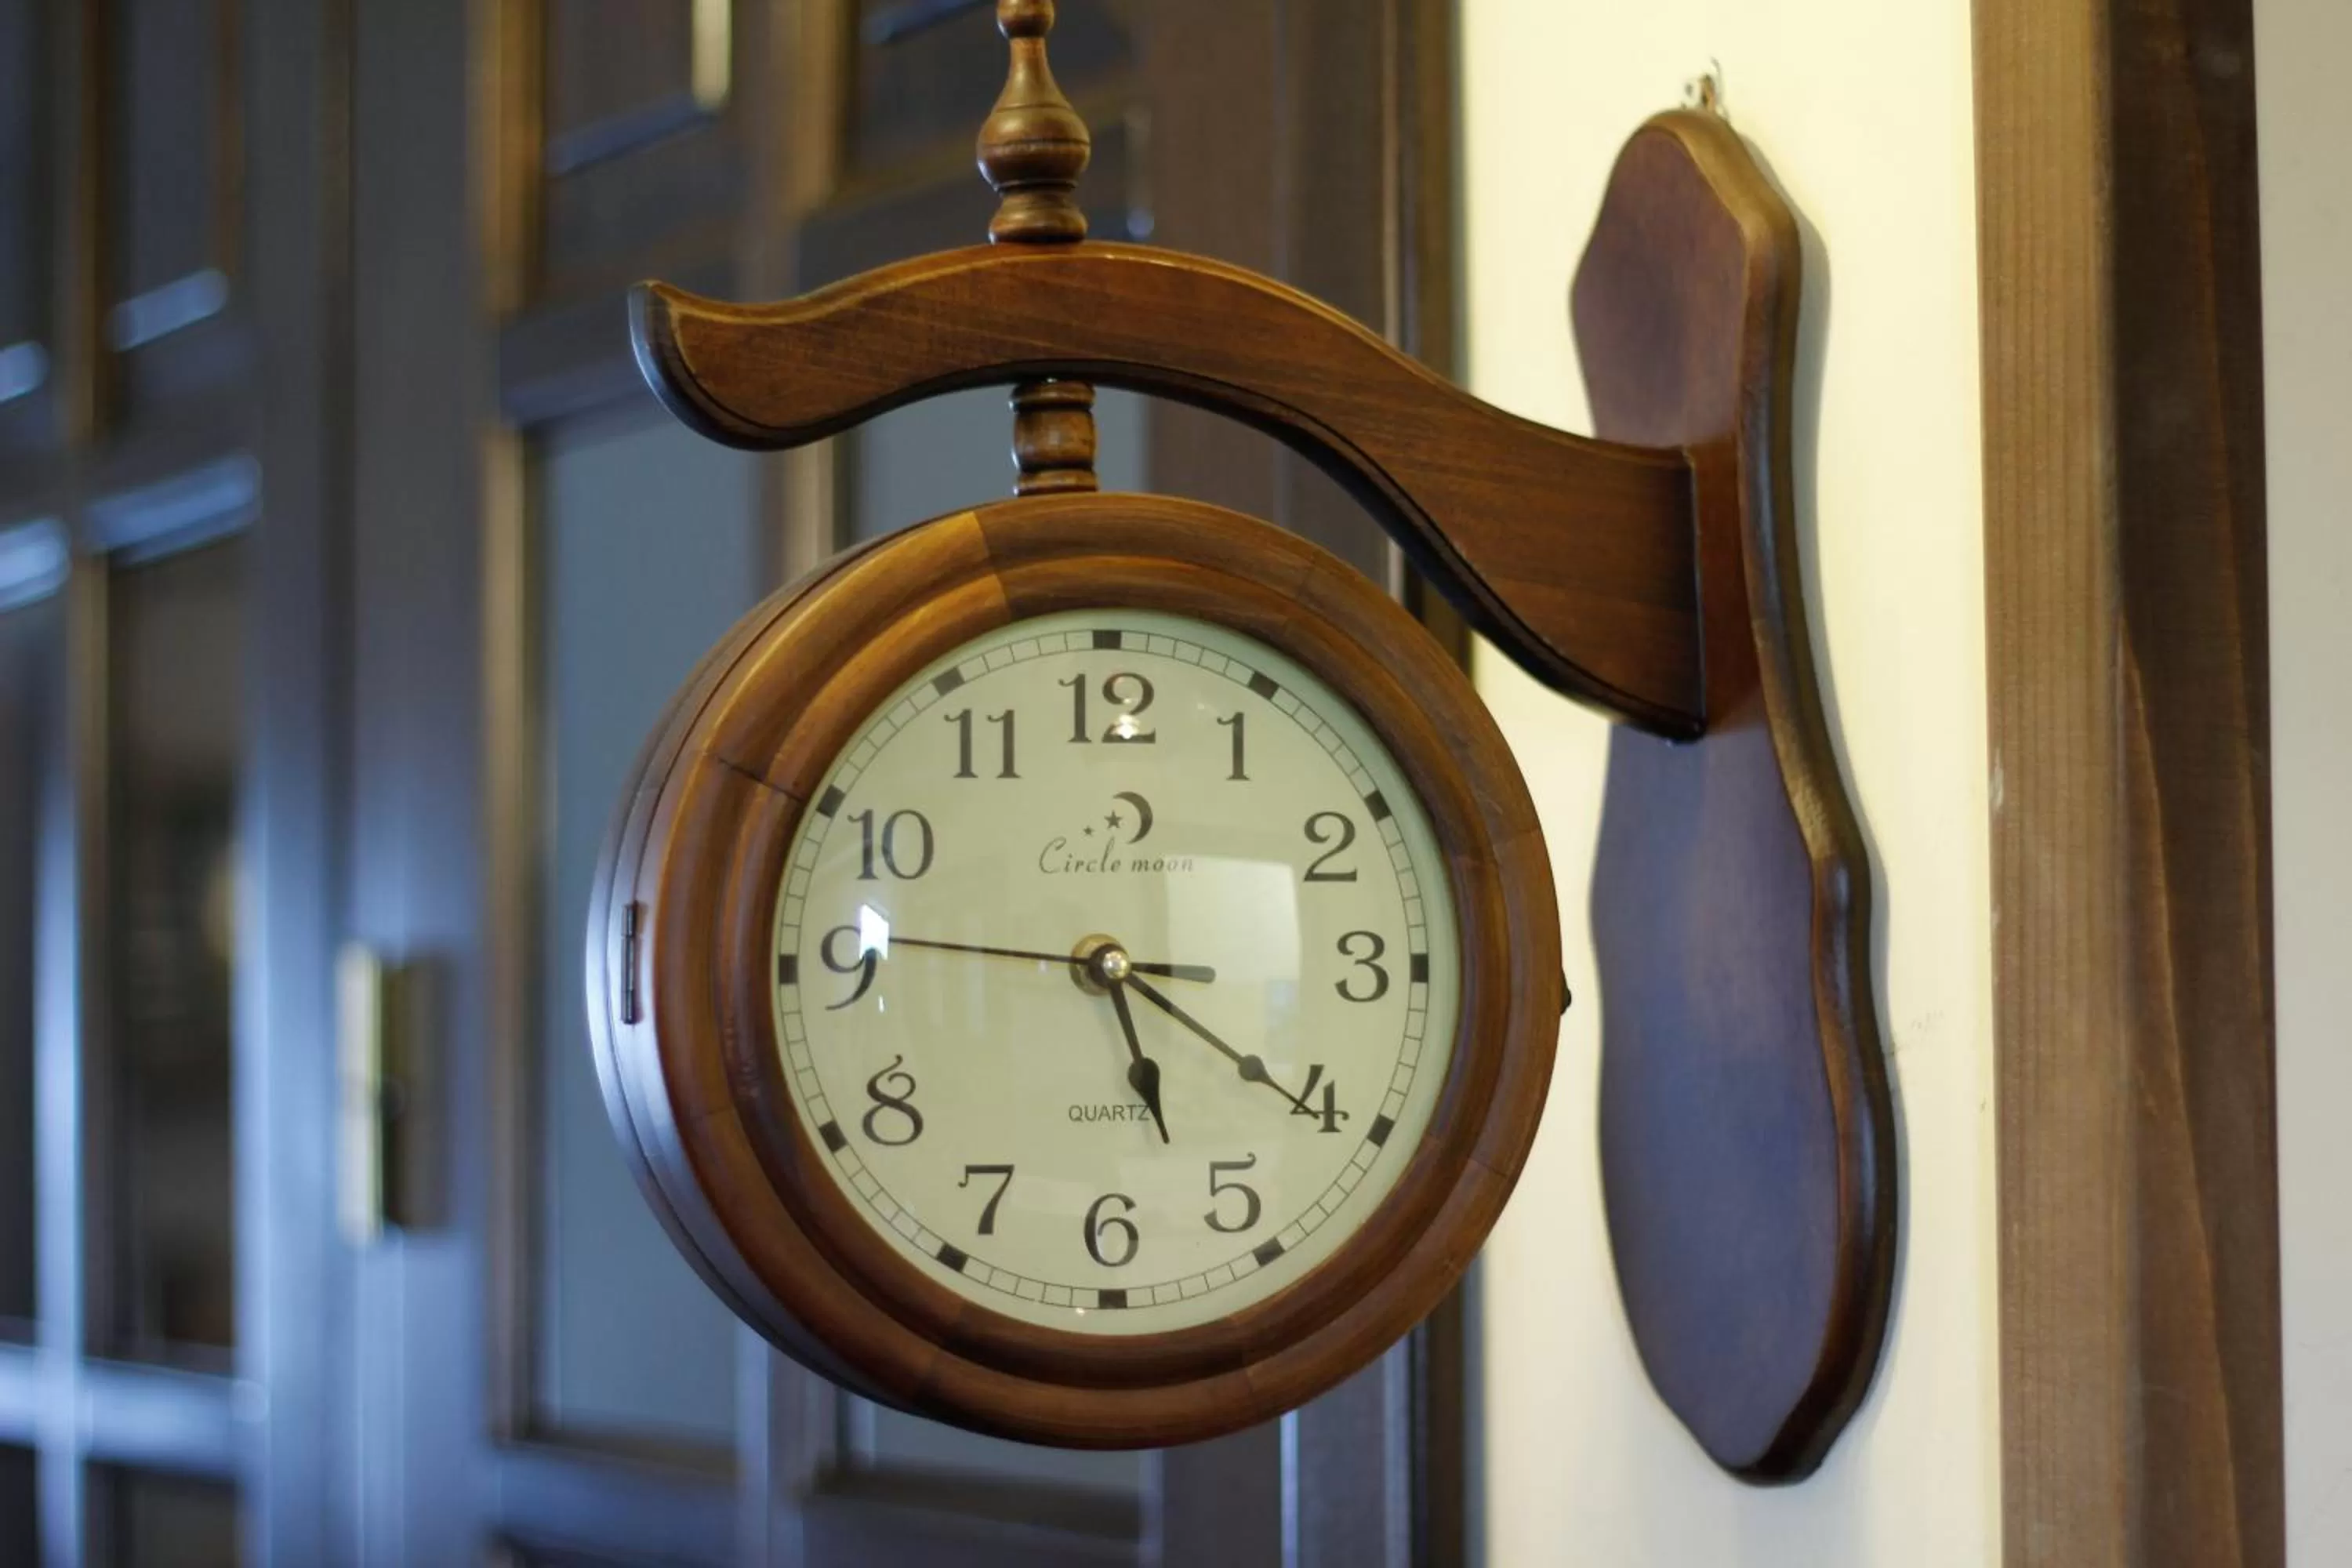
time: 5:20
